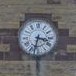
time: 3:32
